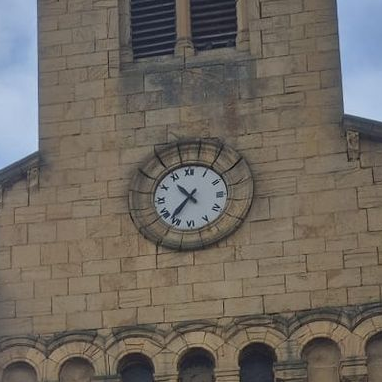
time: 10:36
